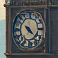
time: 4:22
